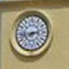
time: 2:44
